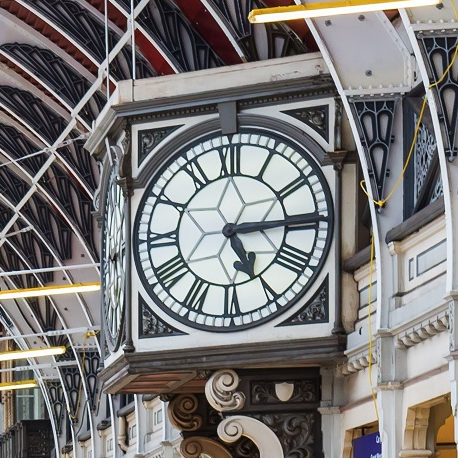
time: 5:14
